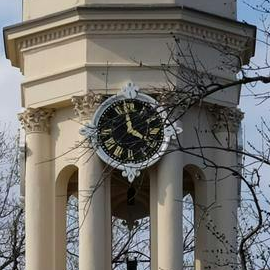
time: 3:58
